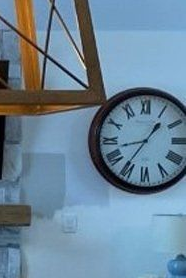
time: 8:36
